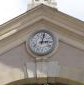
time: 3:02
